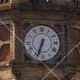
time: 6:34
